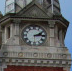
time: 2:14
